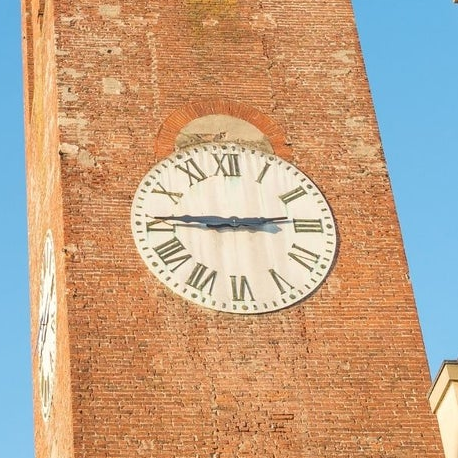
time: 2:45
